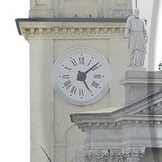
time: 5:08
